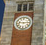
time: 9:14
